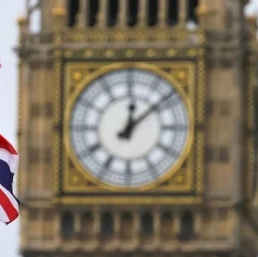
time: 12:08
